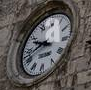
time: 9:42
